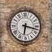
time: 6:17
